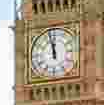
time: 11:57
